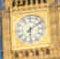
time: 6:08
